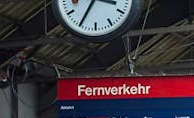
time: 3:34
